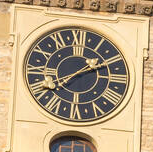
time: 1:37
